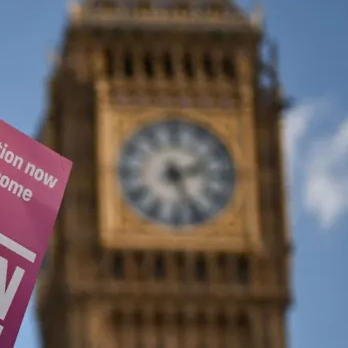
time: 2:26
